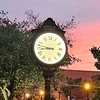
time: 8:47
